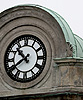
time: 10:39
